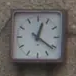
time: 12:21
